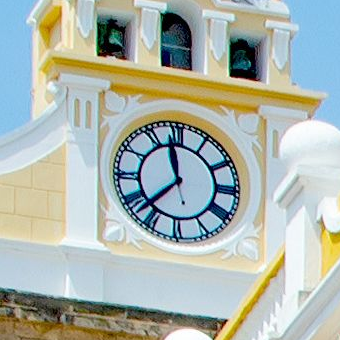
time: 11:37
